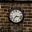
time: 7:16
